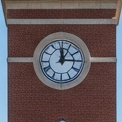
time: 12:14
